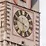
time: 5:49
